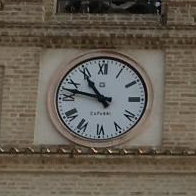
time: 10:47
